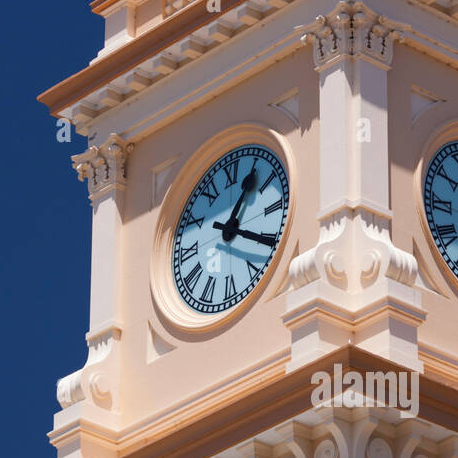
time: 1:20
